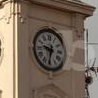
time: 9:32
